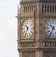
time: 10:34
